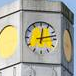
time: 12:12
